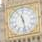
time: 11:28
